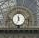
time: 11:33
